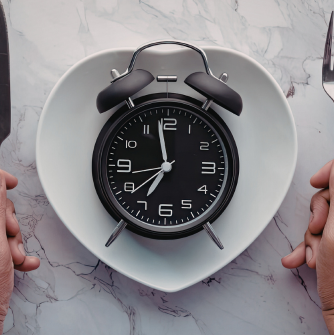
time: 6:58
